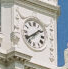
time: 1:39
